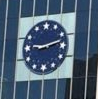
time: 9:12
